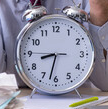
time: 8:32
